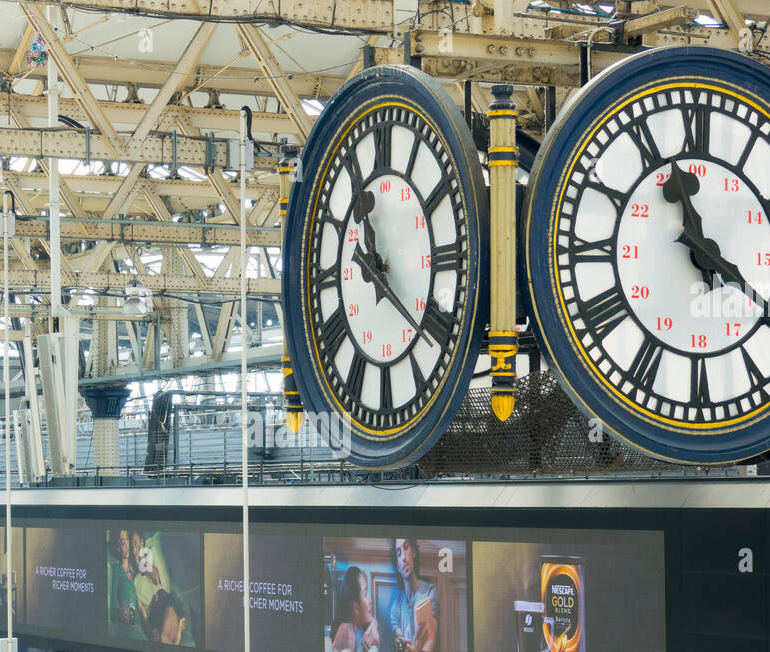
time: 11:21
